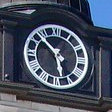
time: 5:51
